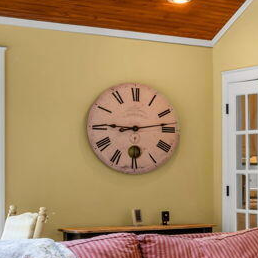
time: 9:13
